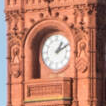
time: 1:10
